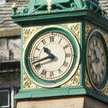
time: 10:42
